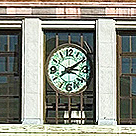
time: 3:09
